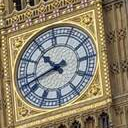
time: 10:42
